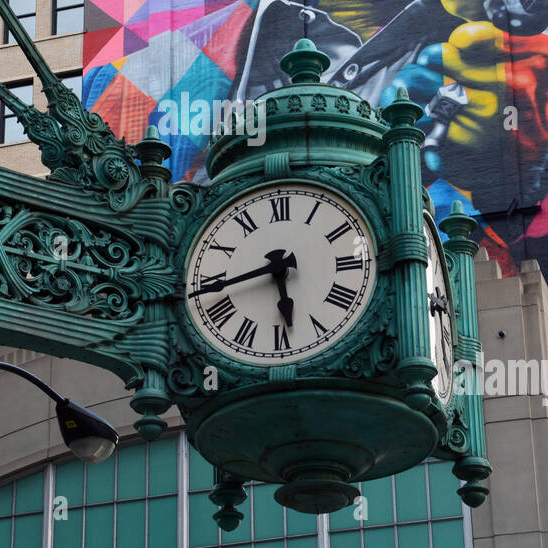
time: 5:43
